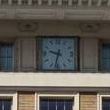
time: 9:32
